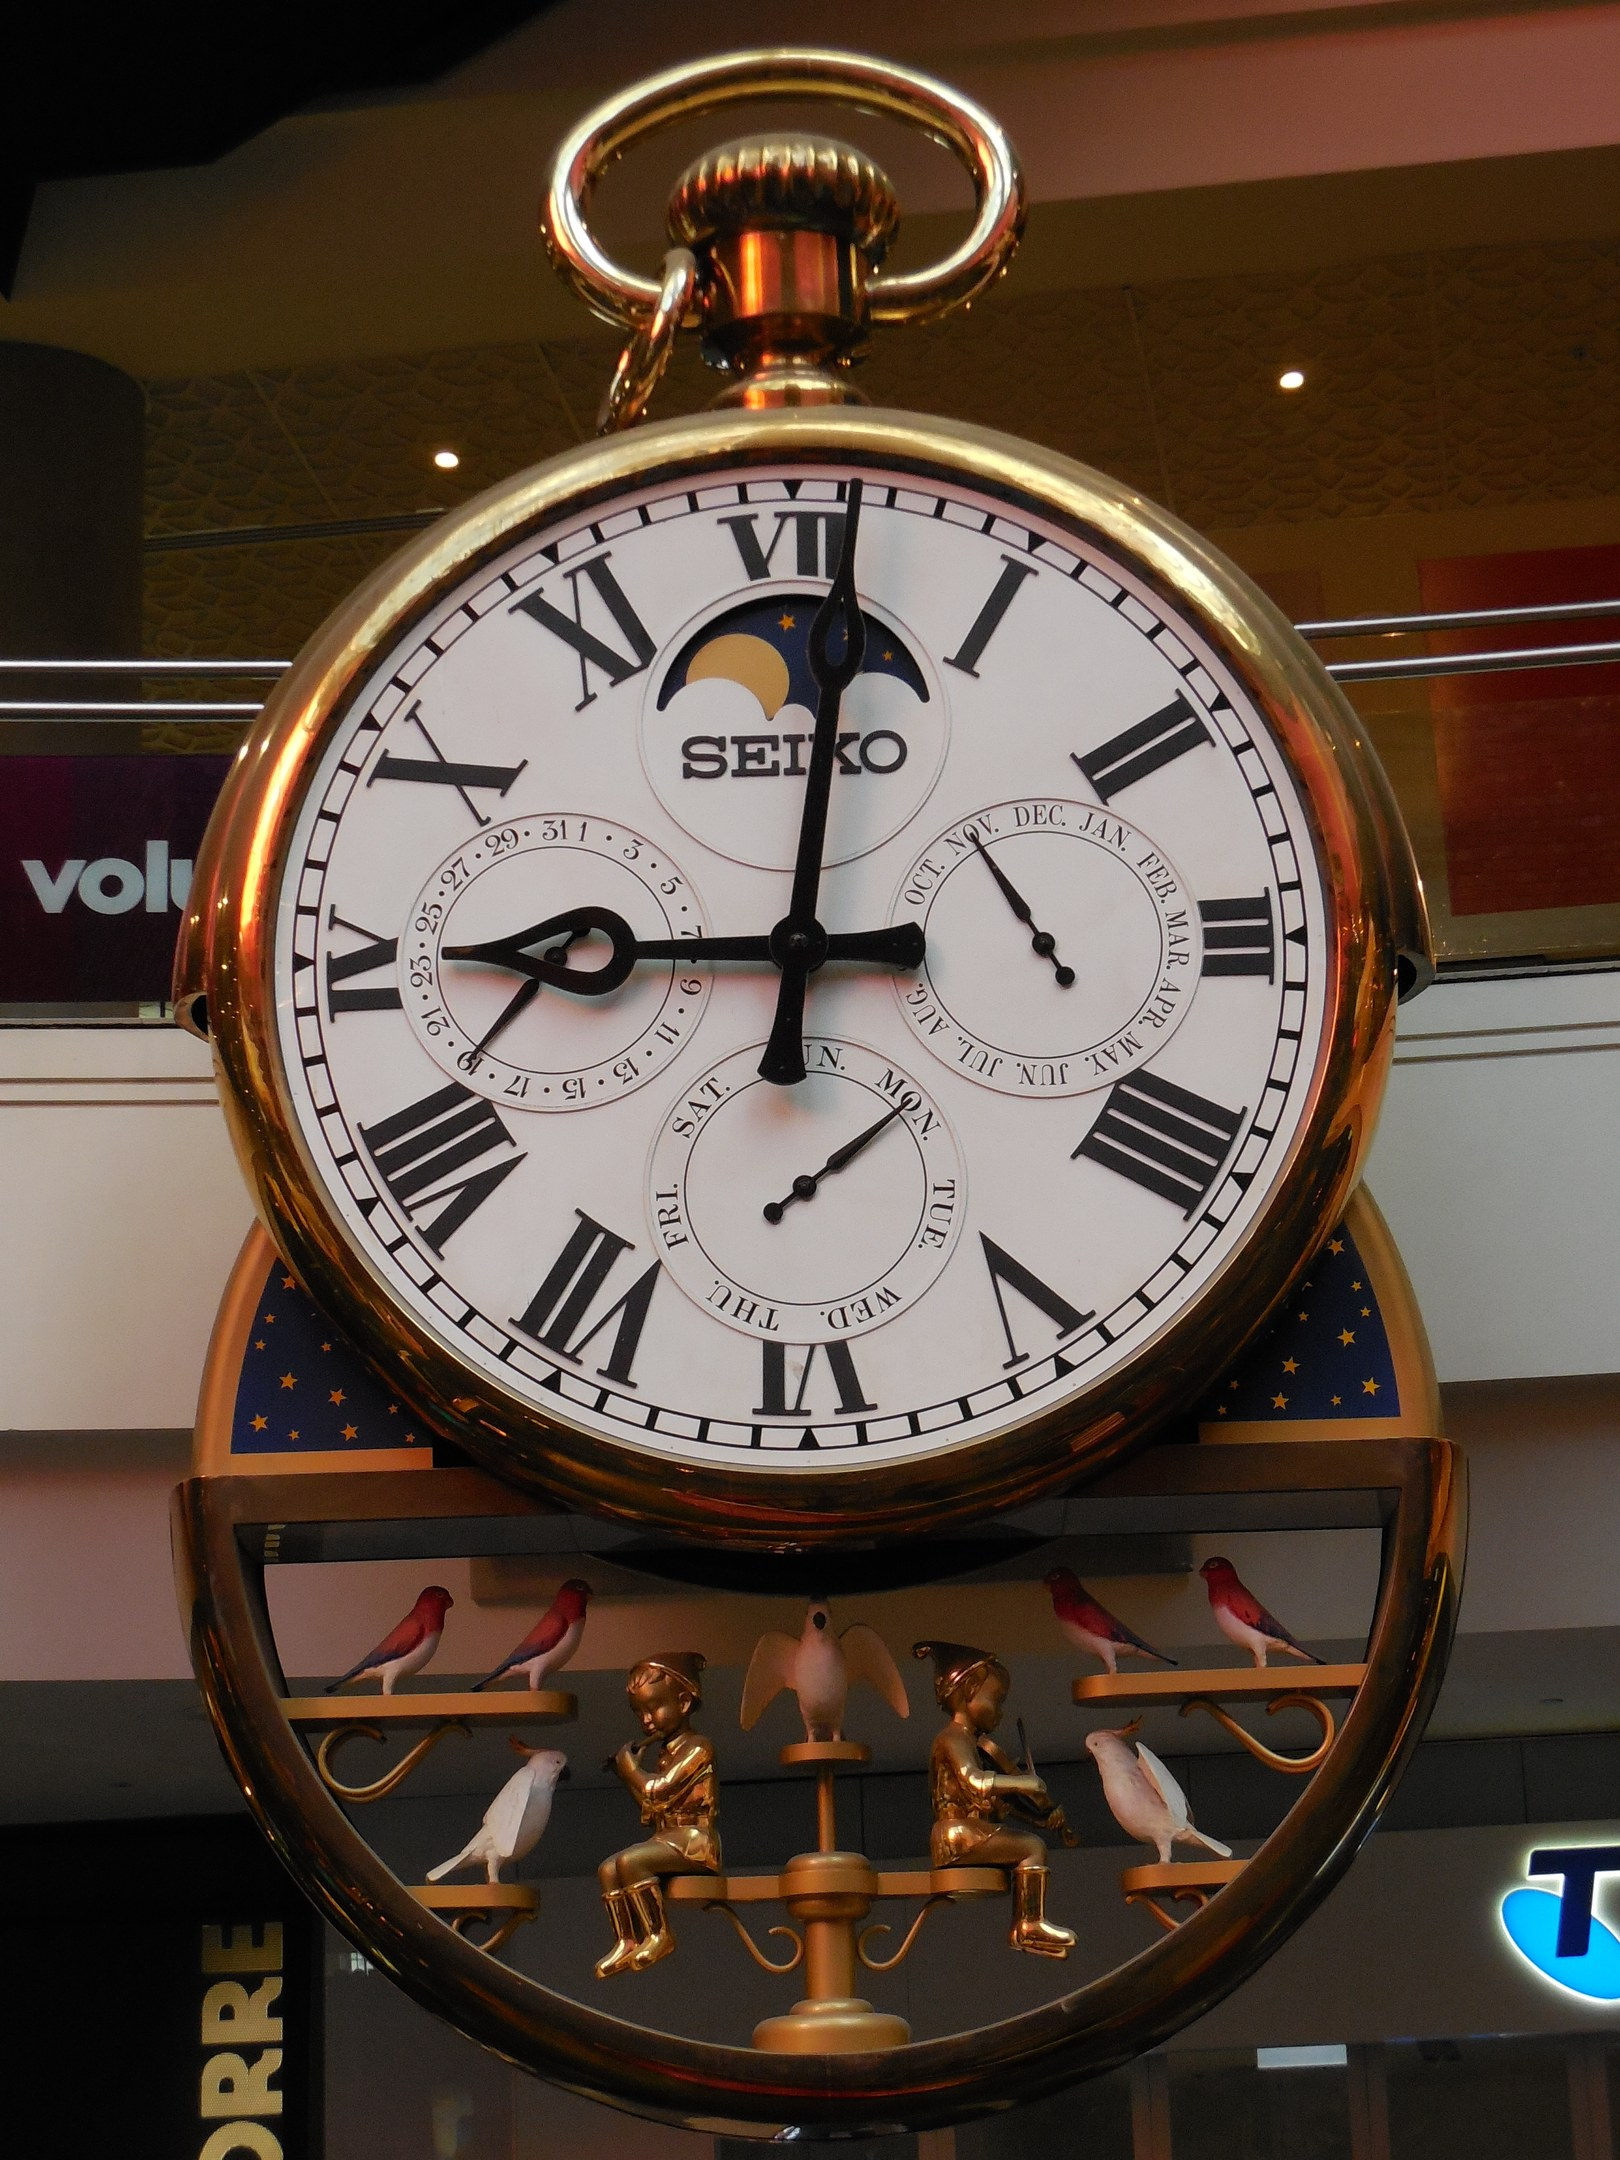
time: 9:01
